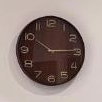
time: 10:14
